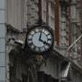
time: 4:02
